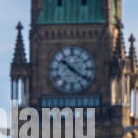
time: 10:20
